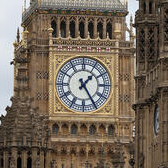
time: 1:24
